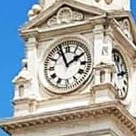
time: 1:56
